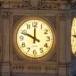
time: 11:48
